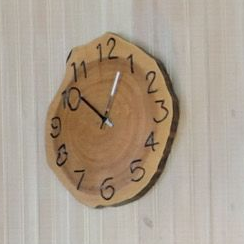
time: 12:51
